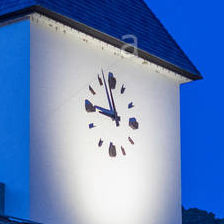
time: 8:57
